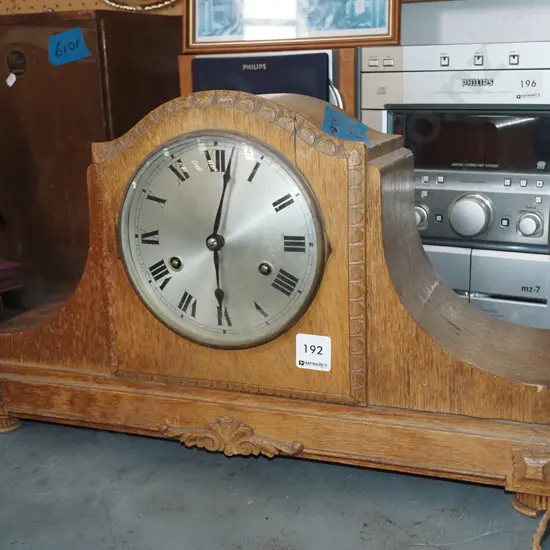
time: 6:02
